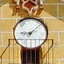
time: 9:07
